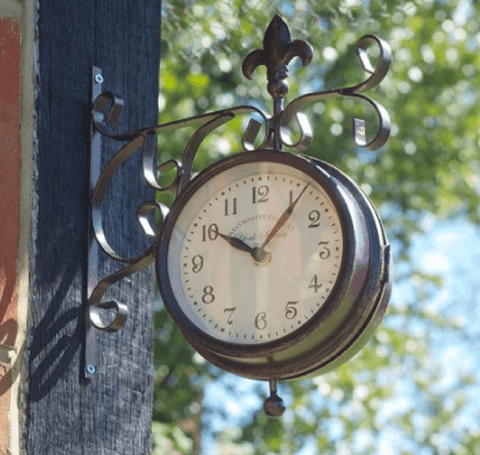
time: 10:06
